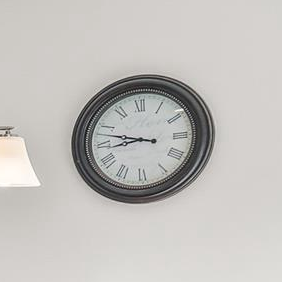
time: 8:47
